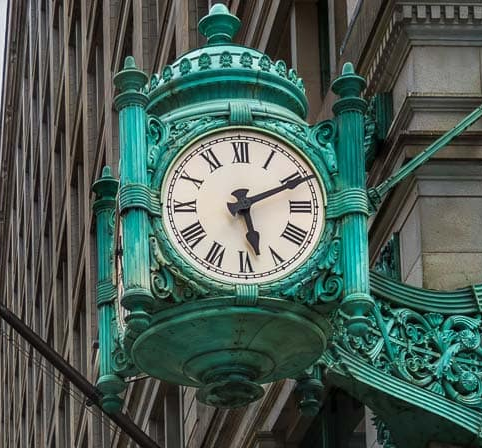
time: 5:11
